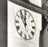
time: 11:00
